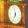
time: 6:58
